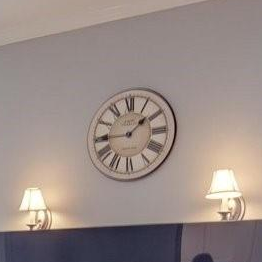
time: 1:44
